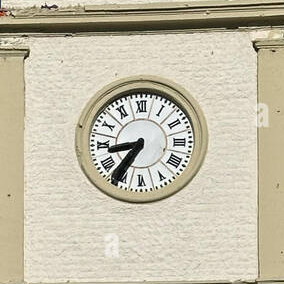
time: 8:35
